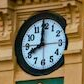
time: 7:59
